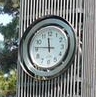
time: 11:46
